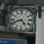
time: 4:41
